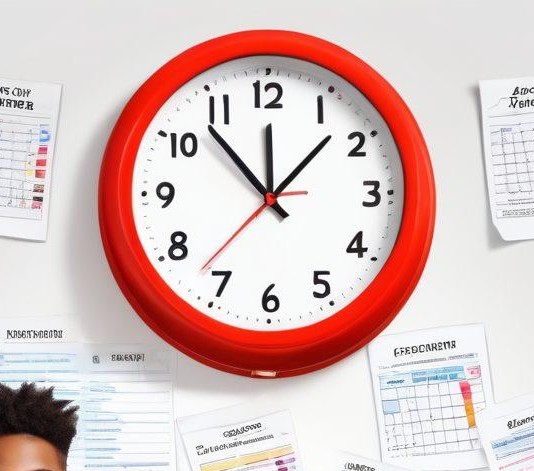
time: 11:52
